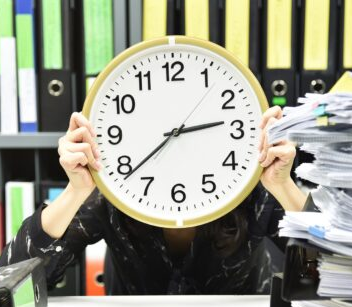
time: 2:38
